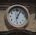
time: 12:04
